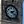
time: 2:21
